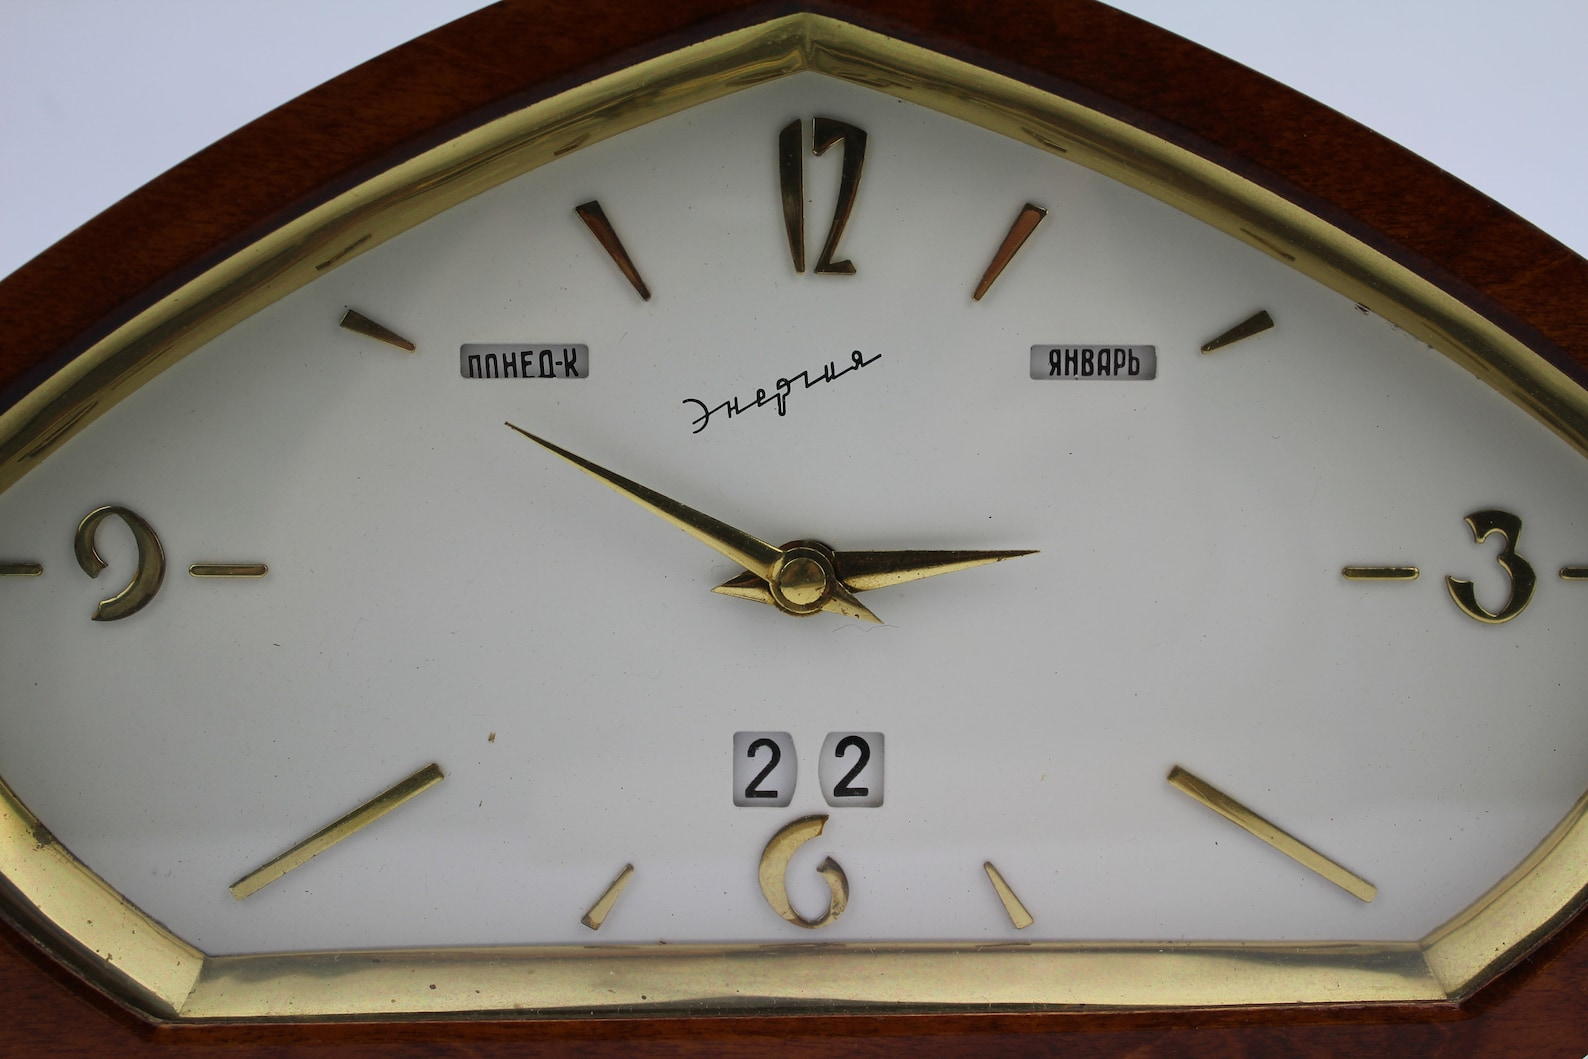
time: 2:49
